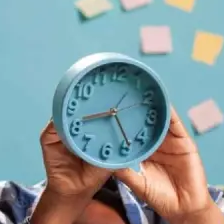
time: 8:23
